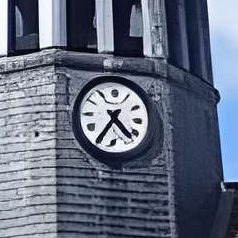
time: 4:35
